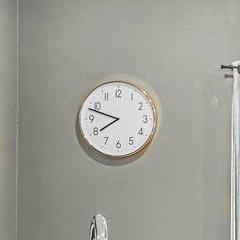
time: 7:48
